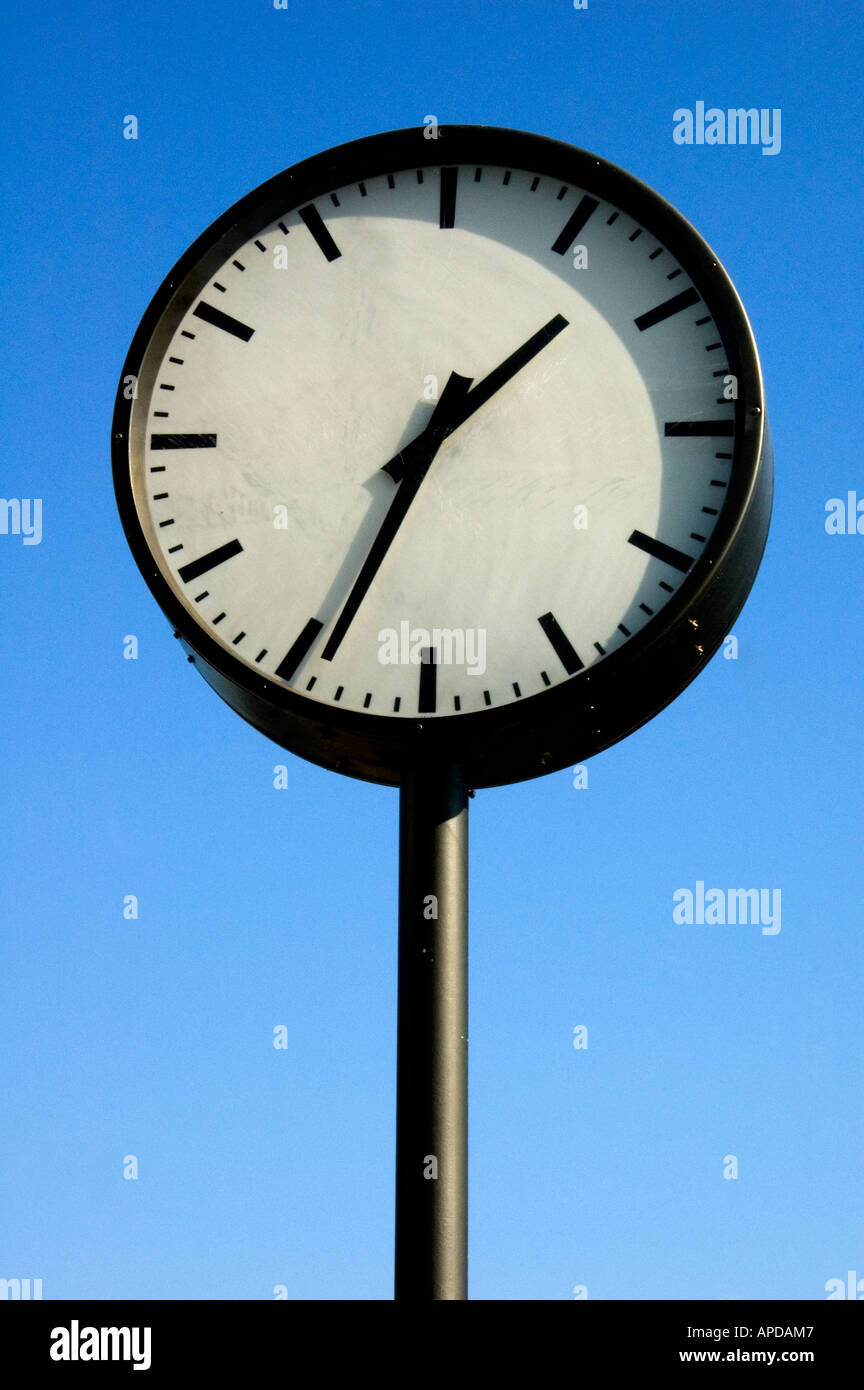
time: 1:34
